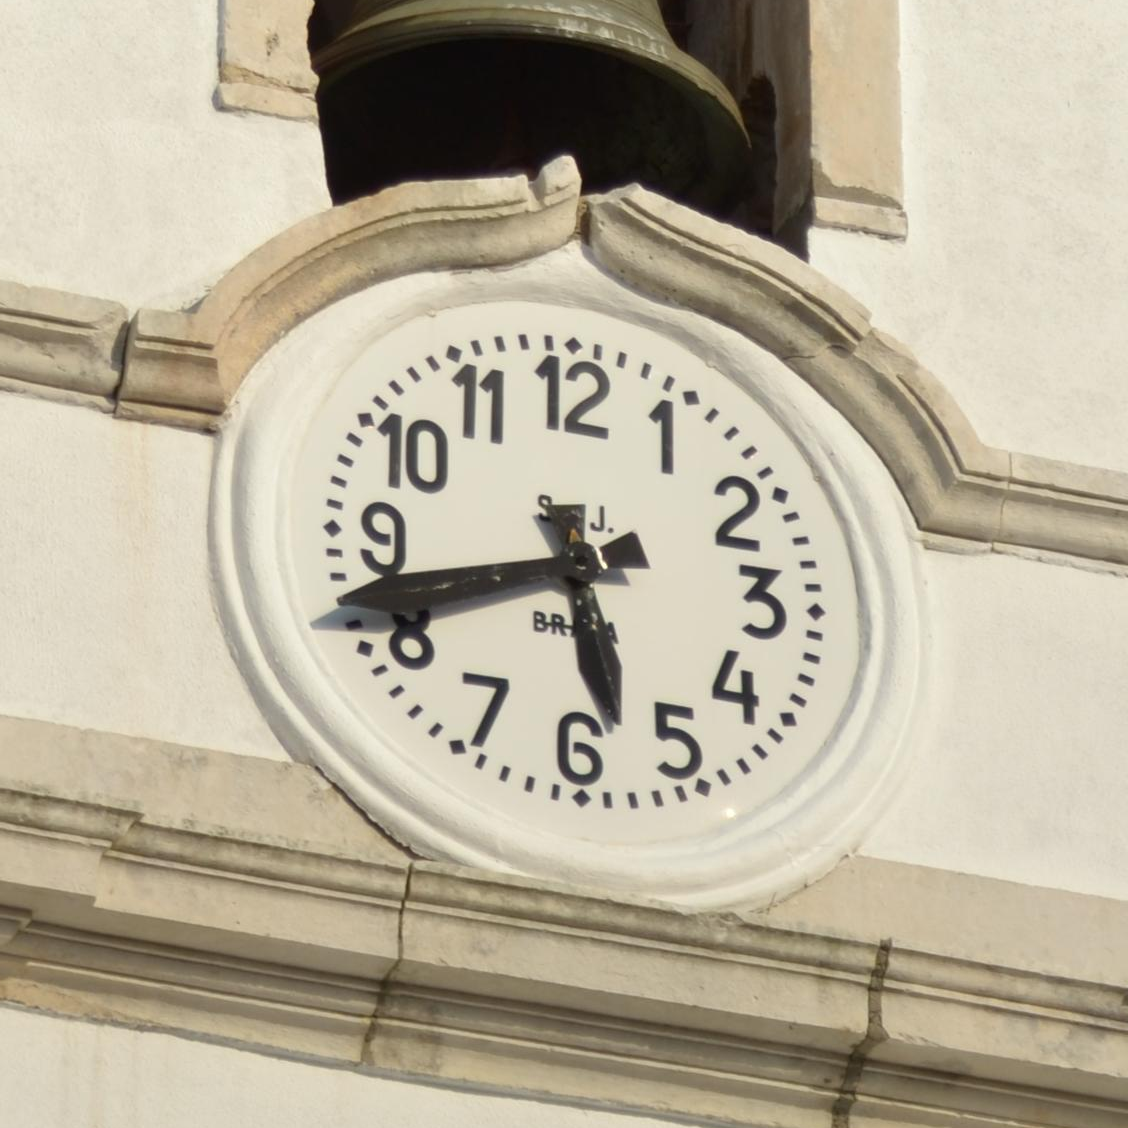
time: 5:41
